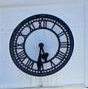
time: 5:31
